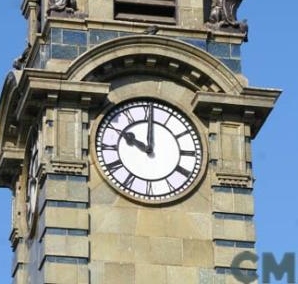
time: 10:00
